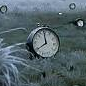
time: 11:39
